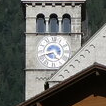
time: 4:42
